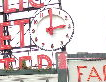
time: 3:01
